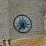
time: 5:35
